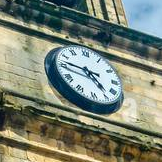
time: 4:46
